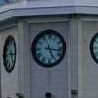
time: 5:16
